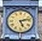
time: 5:12
